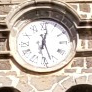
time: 12:26
